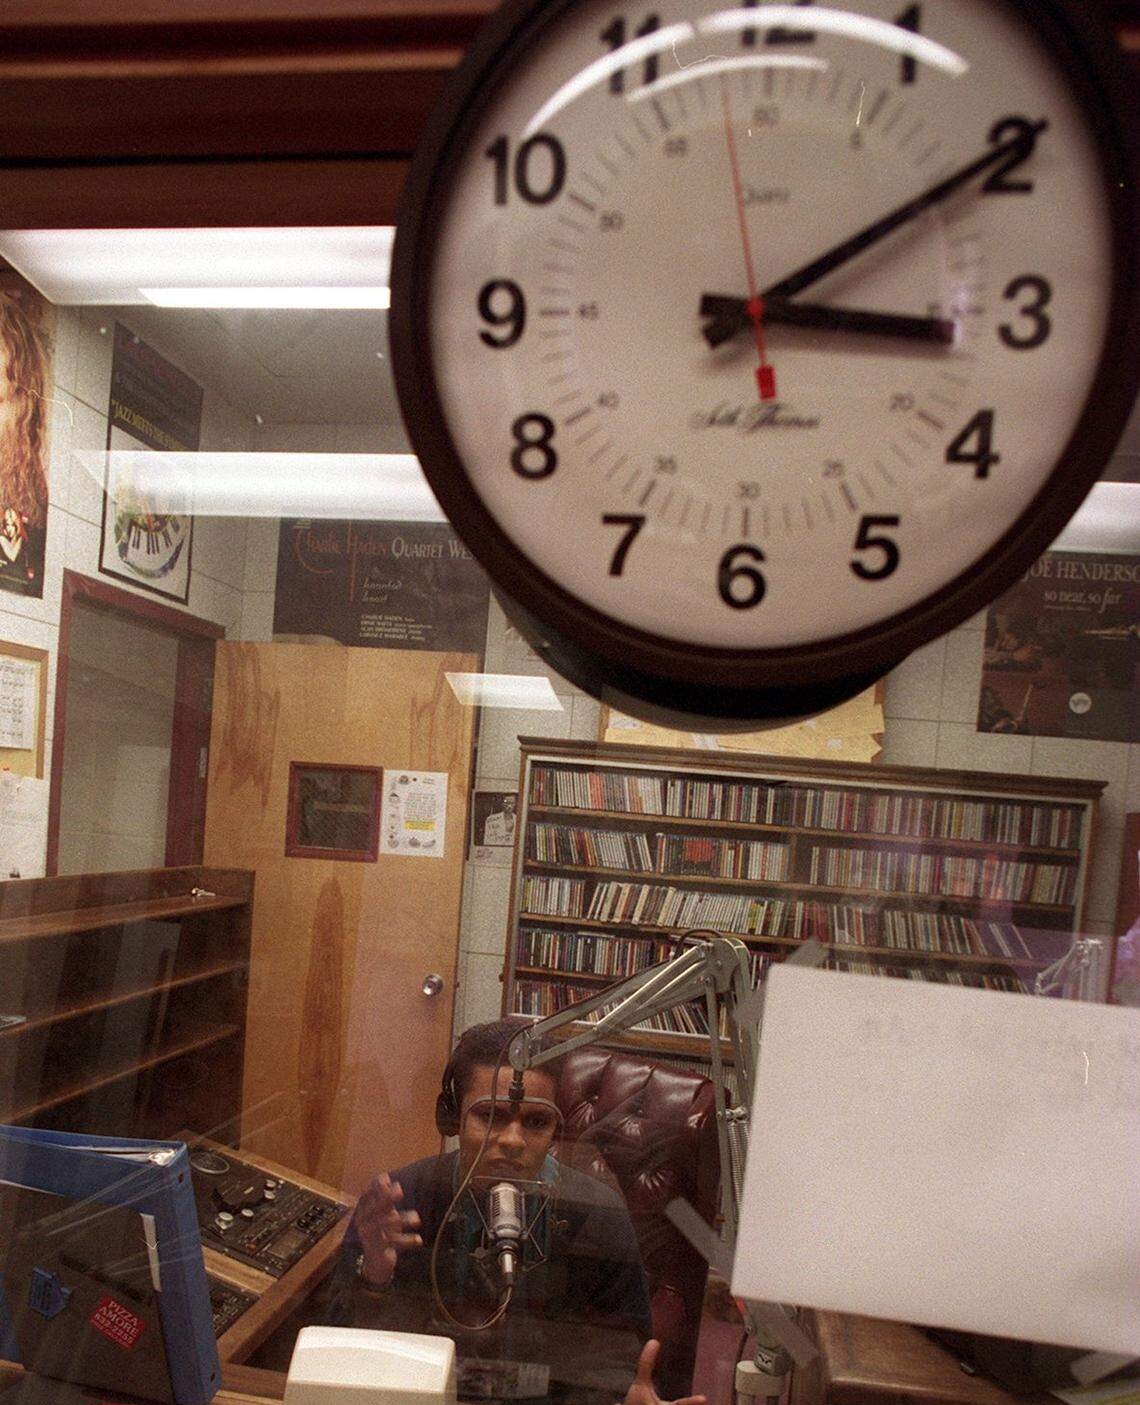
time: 3:09
